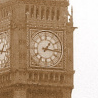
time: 1:16
